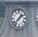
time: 1:37
